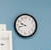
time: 9:42
